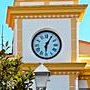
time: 6:04
